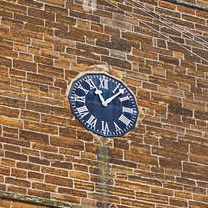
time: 11:07
